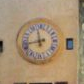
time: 11:42
